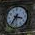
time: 3:36
